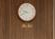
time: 9:40
